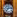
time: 7:13
